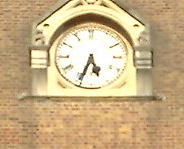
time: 5:33
